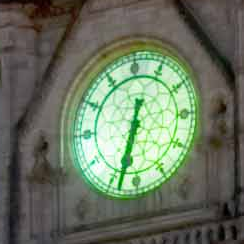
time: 6:32
